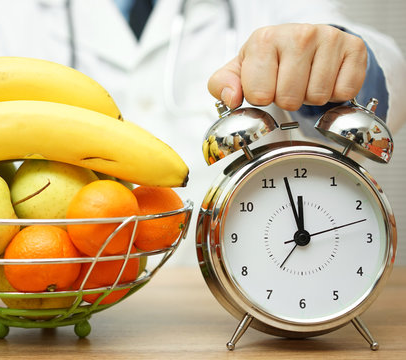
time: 11:57
